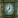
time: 12:38
